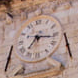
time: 7:16
